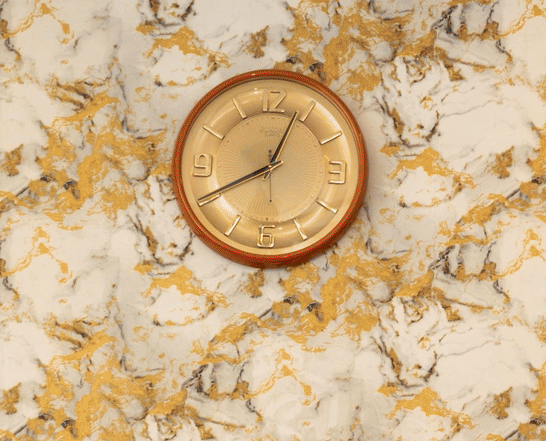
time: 12:40
